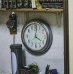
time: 4:01
